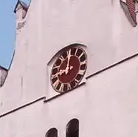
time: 9:01
